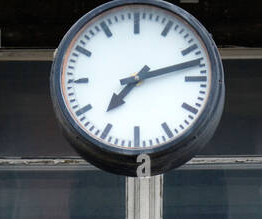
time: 7:12
